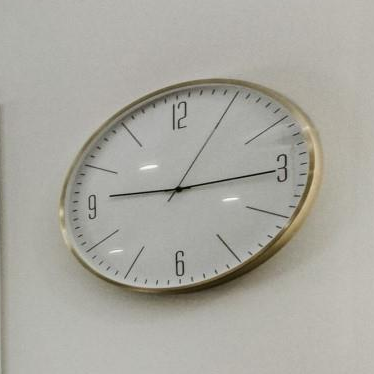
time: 9:15
